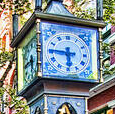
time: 5:45
